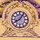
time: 8:06
